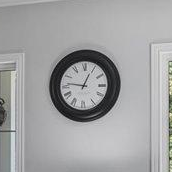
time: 12:46
